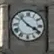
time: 3:52
